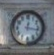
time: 12:17
